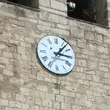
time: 3:06
